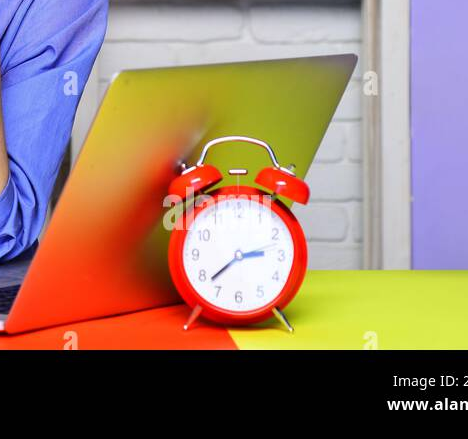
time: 2:38
